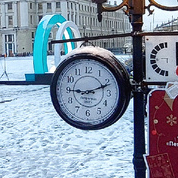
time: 9:11
